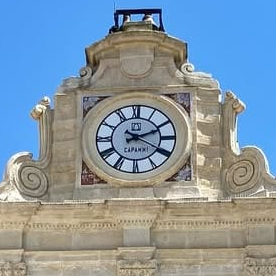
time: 2:19
